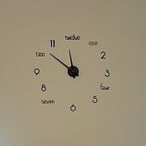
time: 11:52
